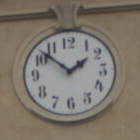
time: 1:52
